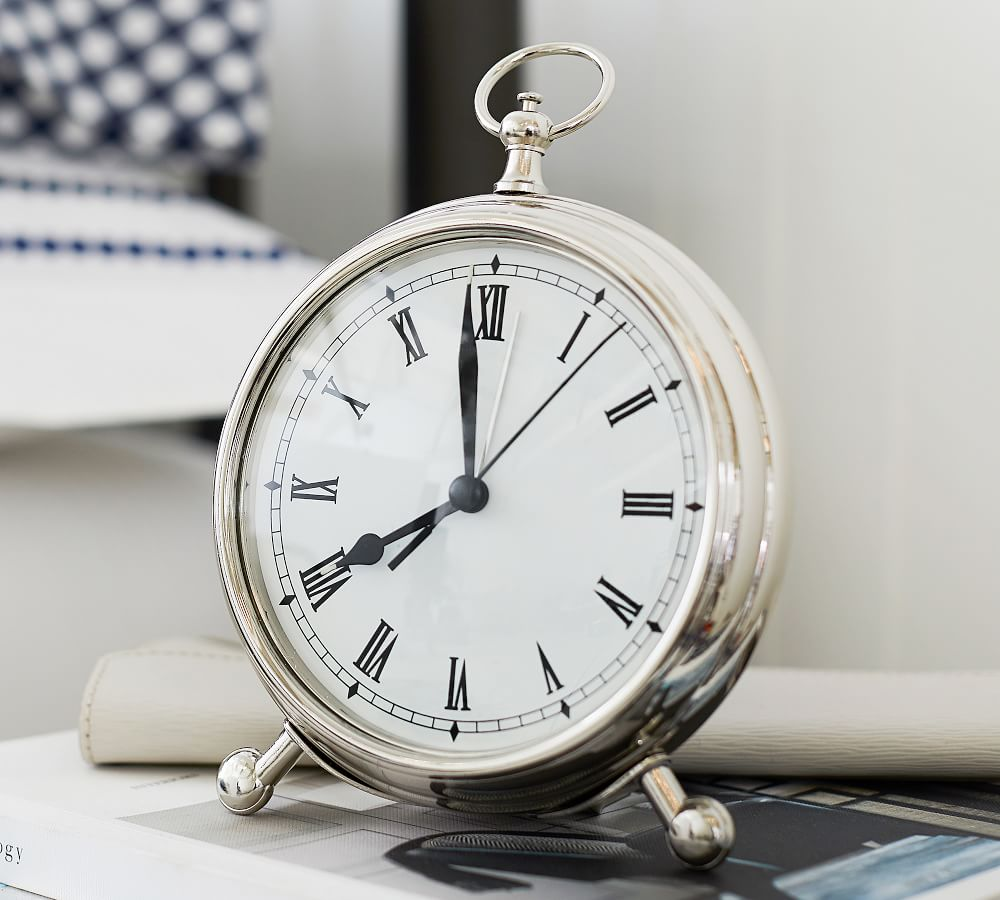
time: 7:58
